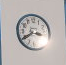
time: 3:40
